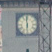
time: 5:59
